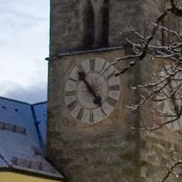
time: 4:53
